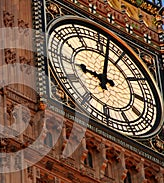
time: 9:01
